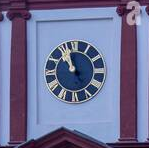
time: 10:56
